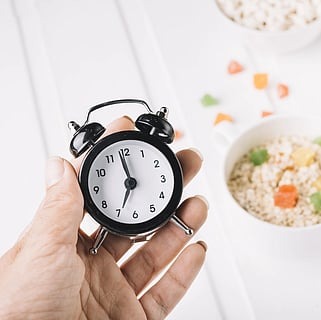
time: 6:58
